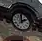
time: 2:00
